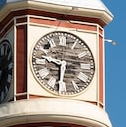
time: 9:31
